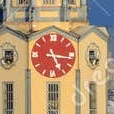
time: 5:16
